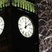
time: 12:08
